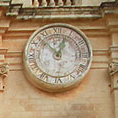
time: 12:52
